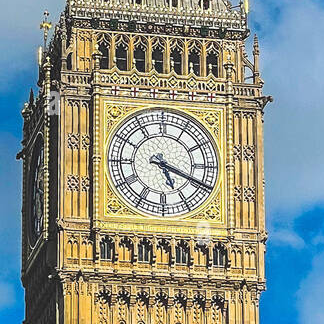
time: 5:18
